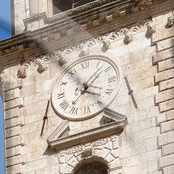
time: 4:07
